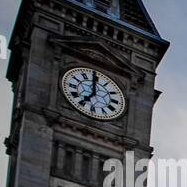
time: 6:59
